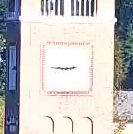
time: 2:46
